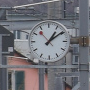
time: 1:09
